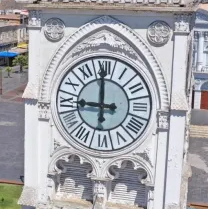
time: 8:59
